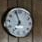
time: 6:56
